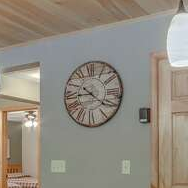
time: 8:21
